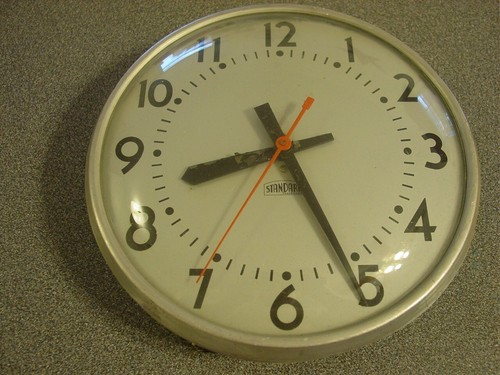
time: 8:25
